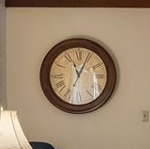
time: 11:04
